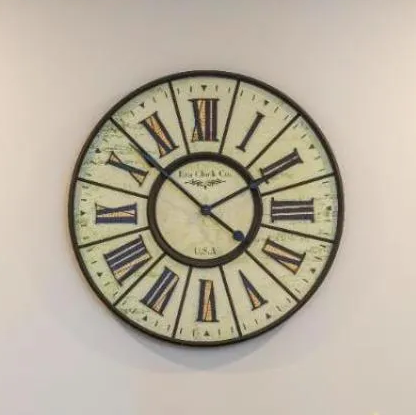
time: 4:10
